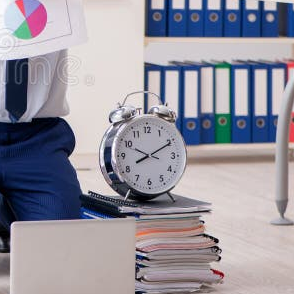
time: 8:10
